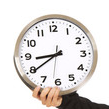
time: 8:39
